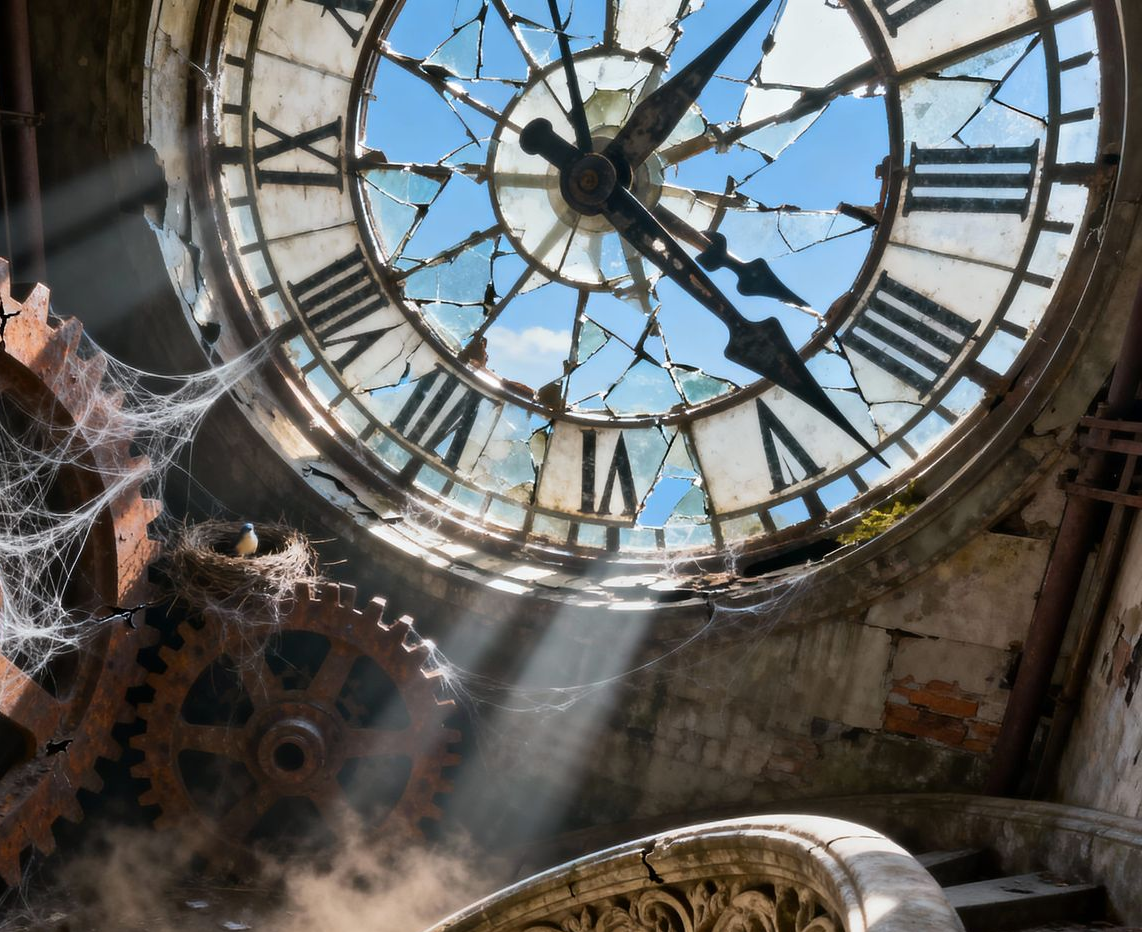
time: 1:22
